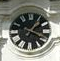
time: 1:18
